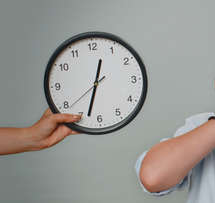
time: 12:32
